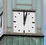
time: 12:02
